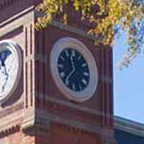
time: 11:36
